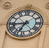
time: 6:43
